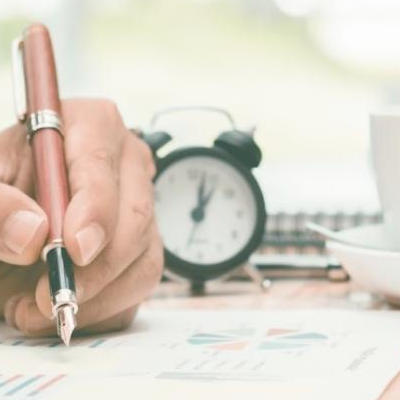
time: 1:02
